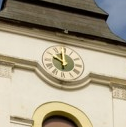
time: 9:59
